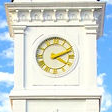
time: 4:11
